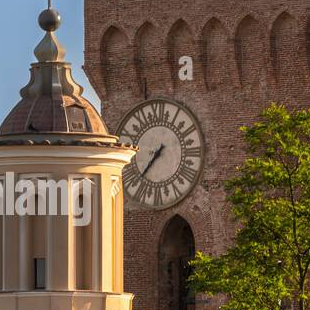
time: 7:37
